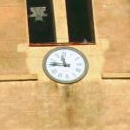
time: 11:46
